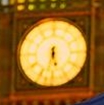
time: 5:32
